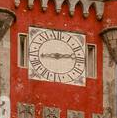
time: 2:43
